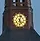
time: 5:03
